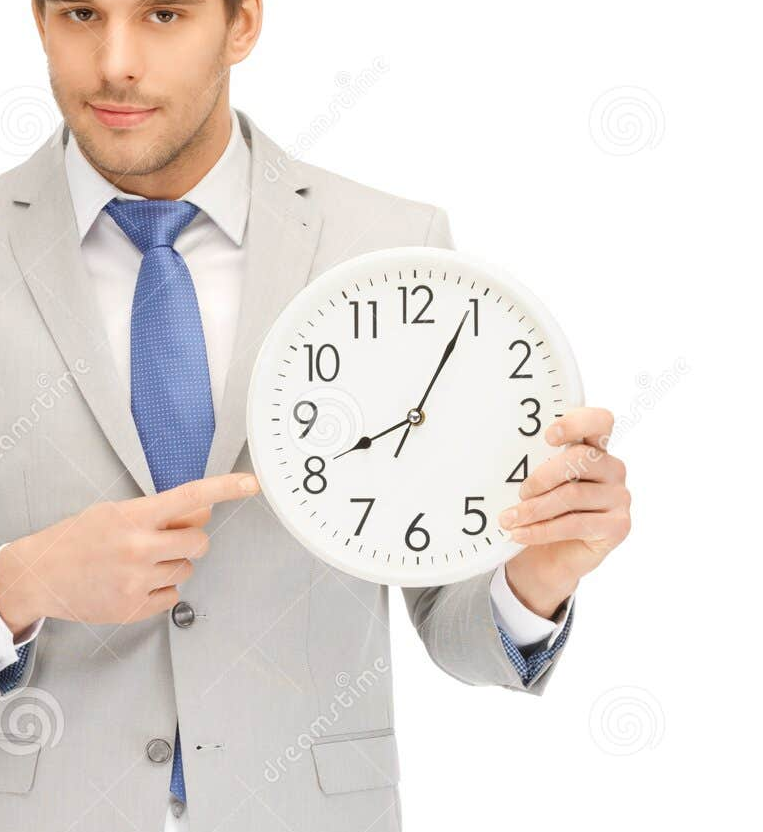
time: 8:04
